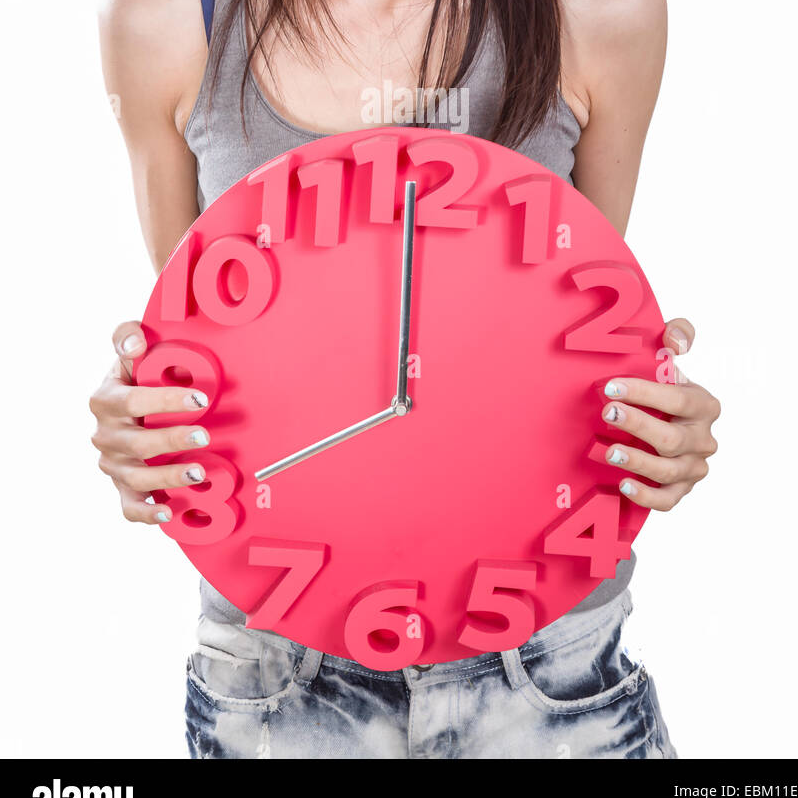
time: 7:59
